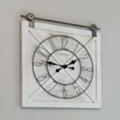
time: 1:46
